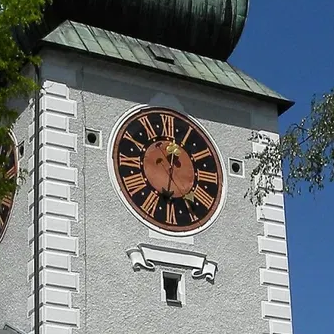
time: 12:32
